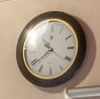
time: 10:39
